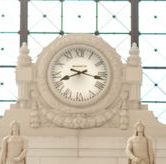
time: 8:17
